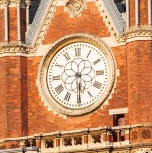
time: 5:30
